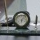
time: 6:06
